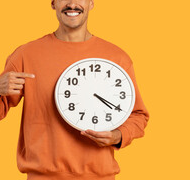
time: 4:20
